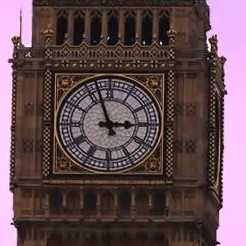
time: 2:56
